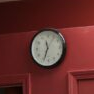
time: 11:33
